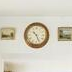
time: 10:25
